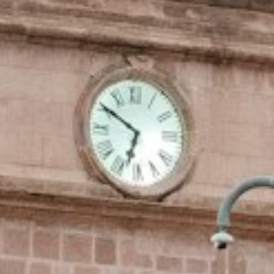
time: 6:50
